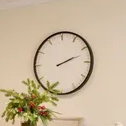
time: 2:11
